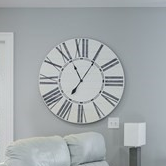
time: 11:05
